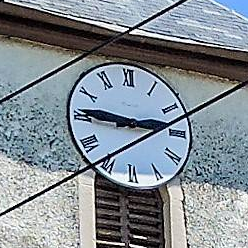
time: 9:12
